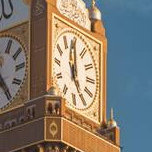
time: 4:59
